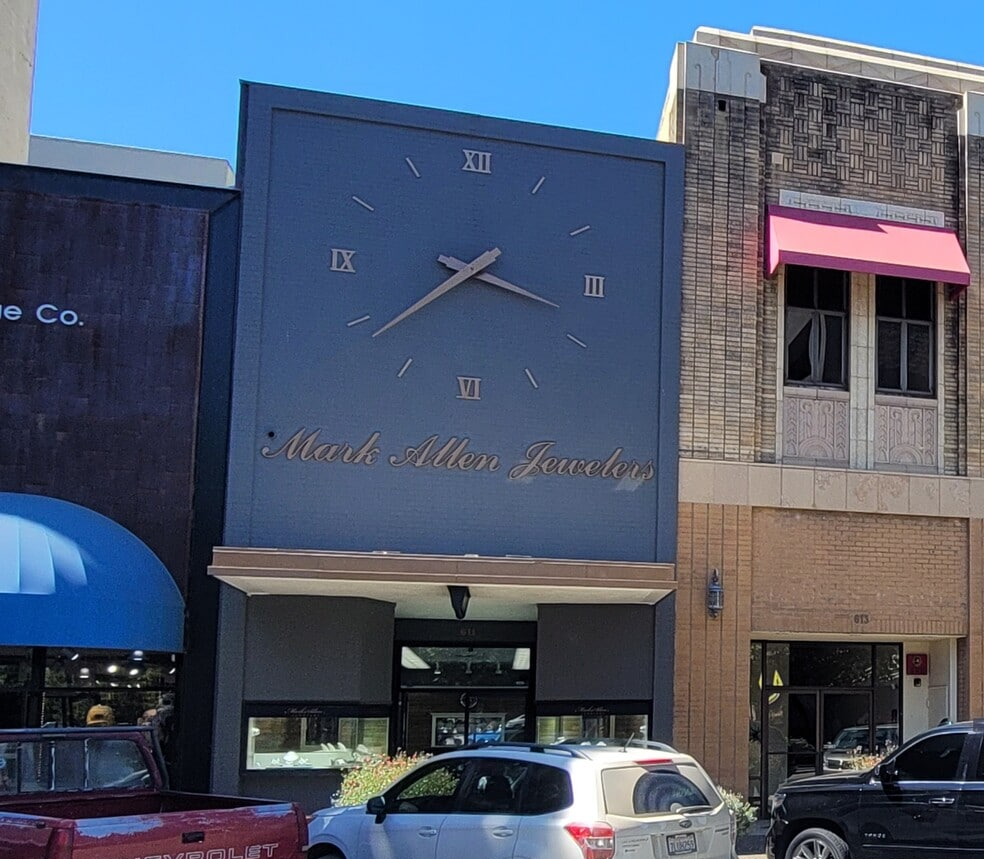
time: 3:39
